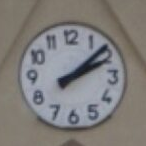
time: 2:08
